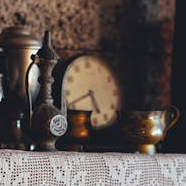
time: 5:41
